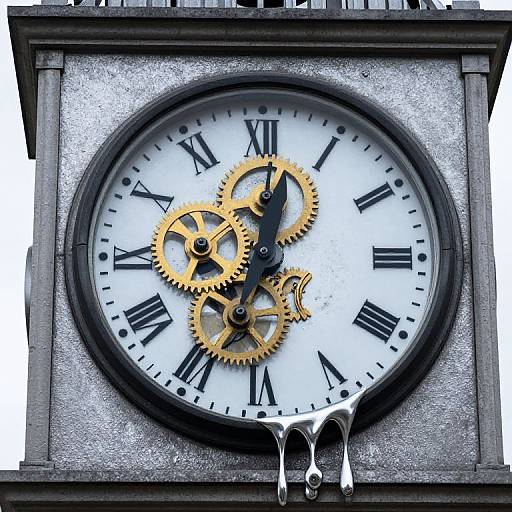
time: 12:33
